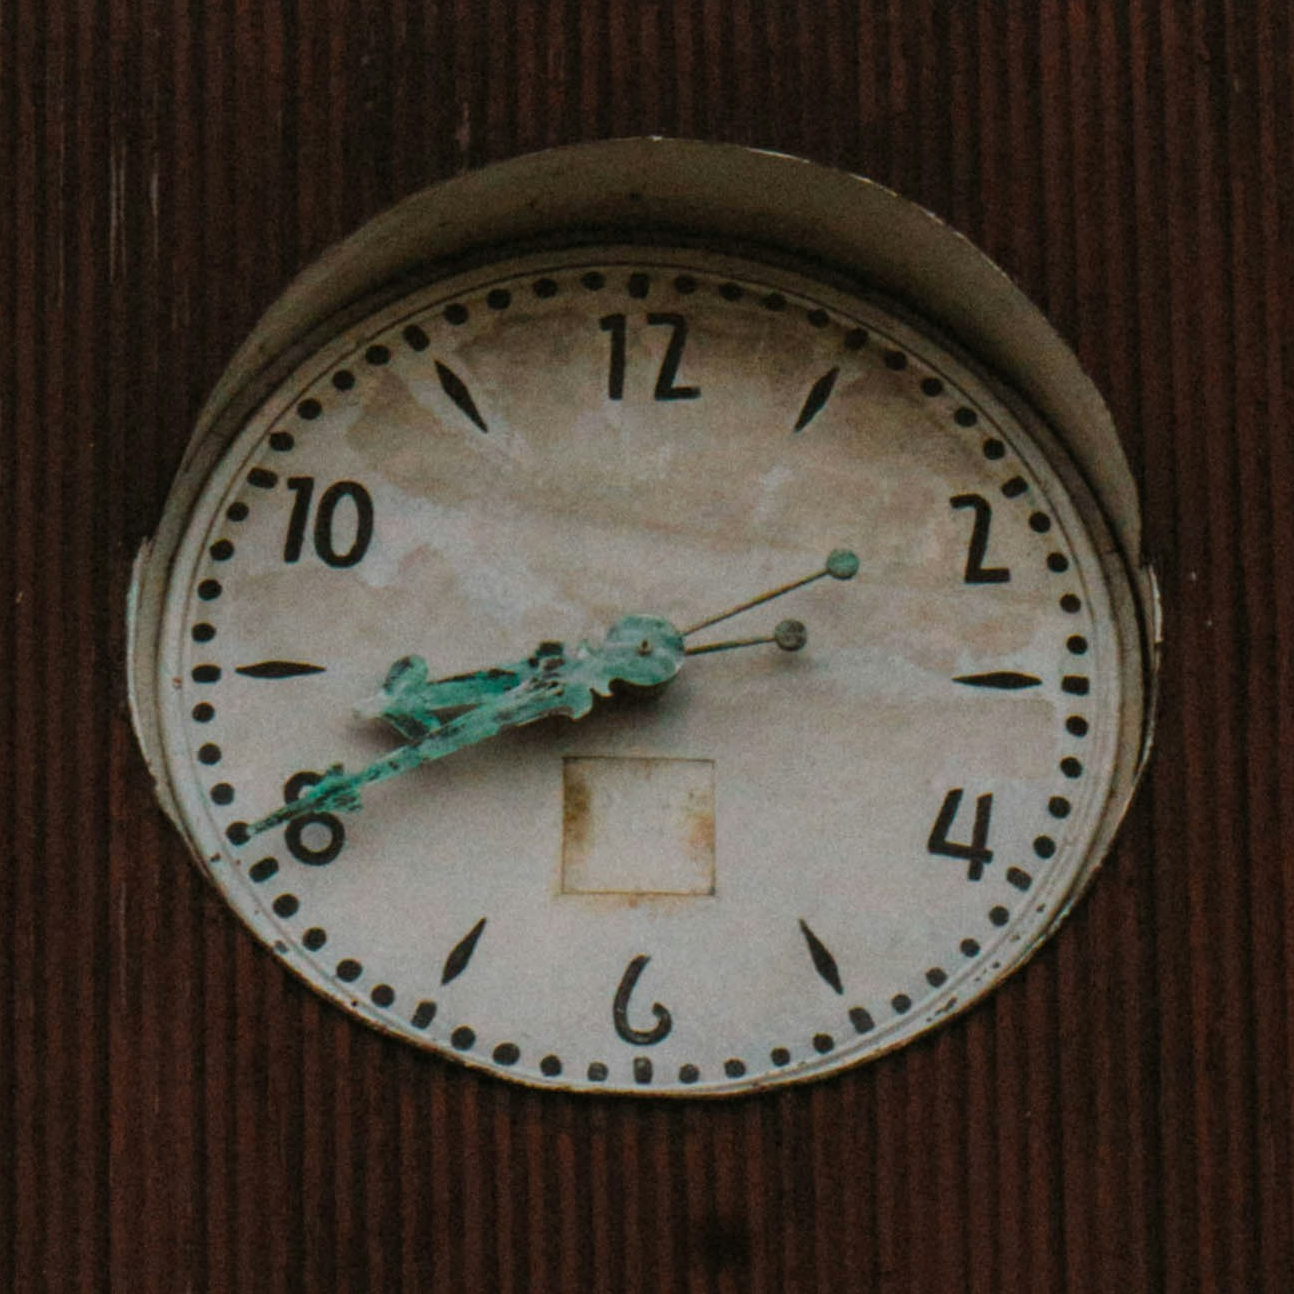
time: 8:41
